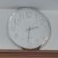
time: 2:31
